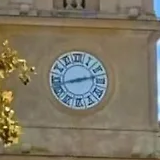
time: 8:12
